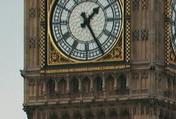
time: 1:25
